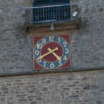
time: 4:40
